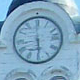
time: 5:59
